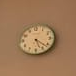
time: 5:21
